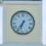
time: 6:35
